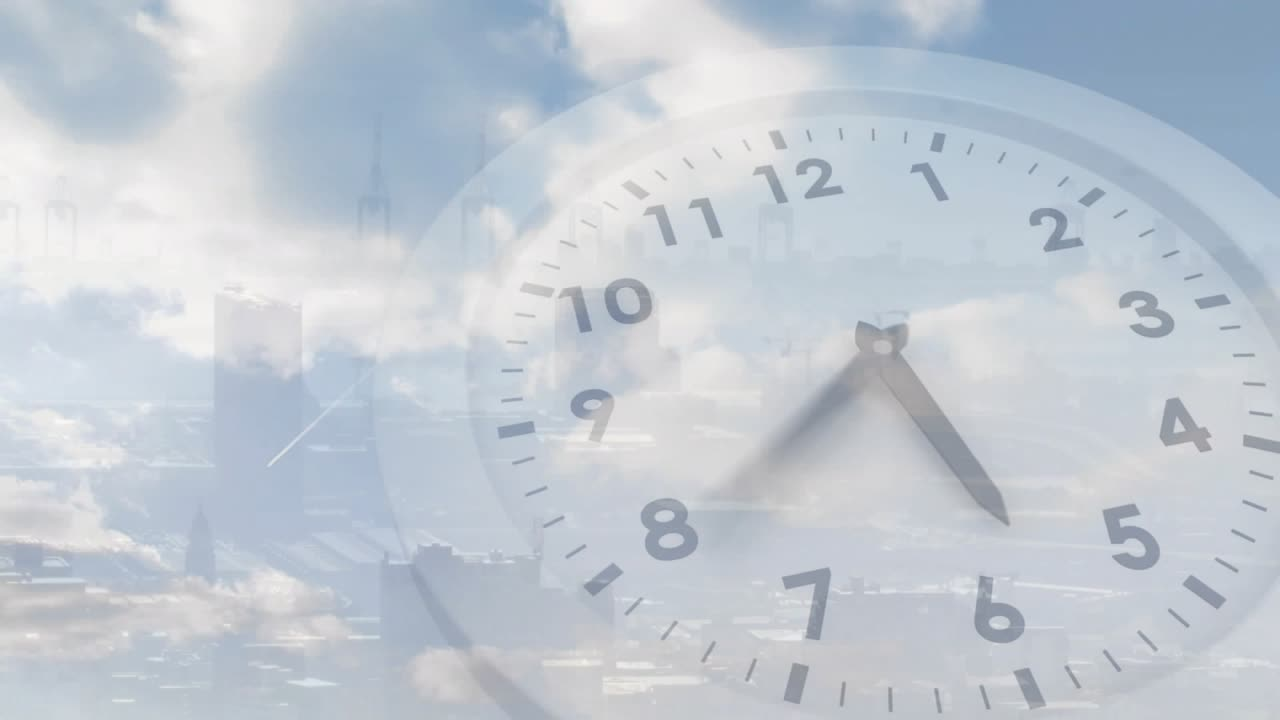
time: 5:39
